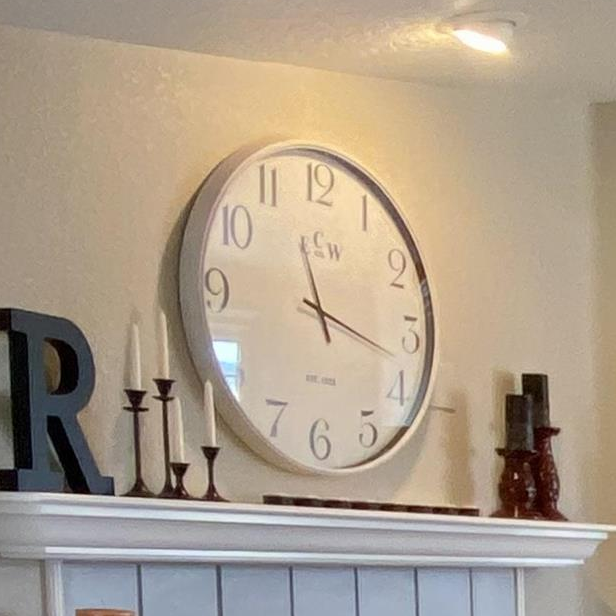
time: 11:17
